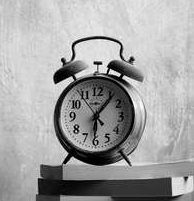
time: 6:06
